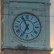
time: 6:55
